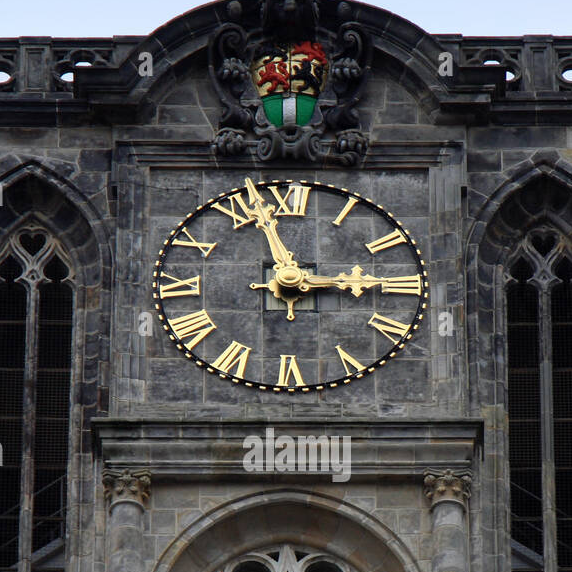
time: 2:57
